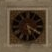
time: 5:19
